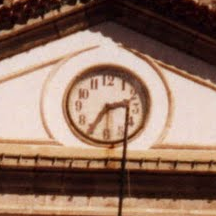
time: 2:35
